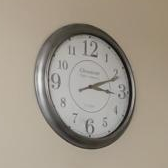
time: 3:11
